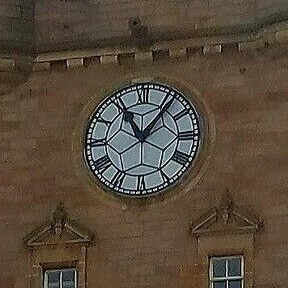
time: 11:06
